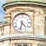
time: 4:32
